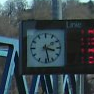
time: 3:28
